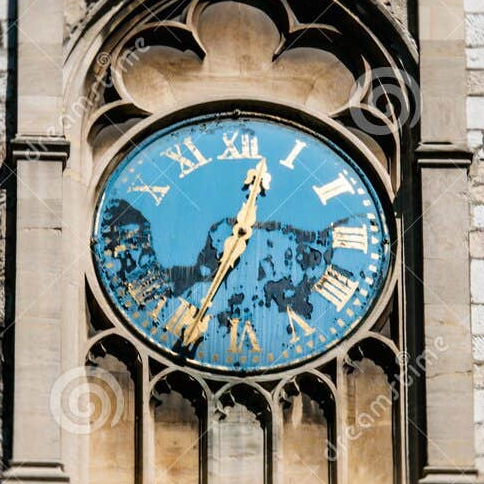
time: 12:34
